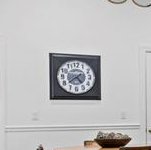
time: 4:38
